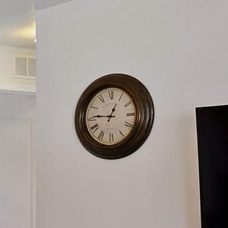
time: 12:45
